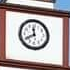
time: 11:40
